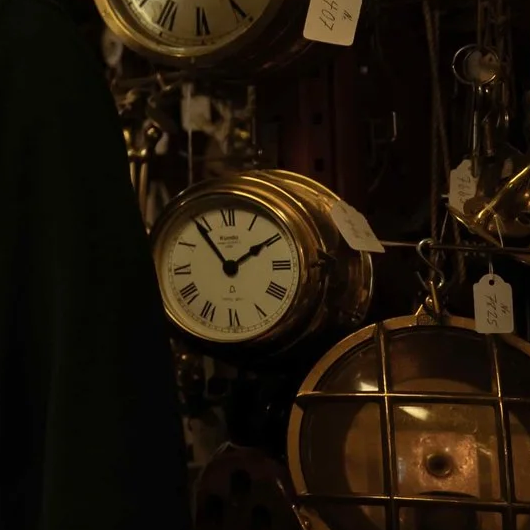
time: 1:54
